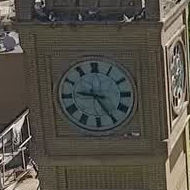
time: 9:25
